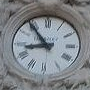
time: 8:53
